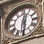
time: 12:30
